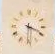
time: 3:30
